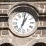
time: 1:02
